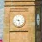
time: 9:27
